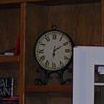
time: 6:10
